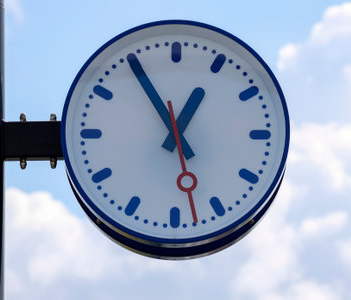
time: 12:54
